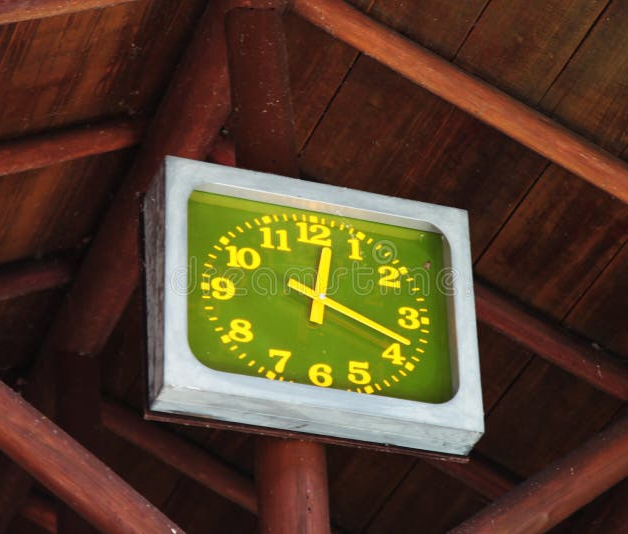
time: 12:18
